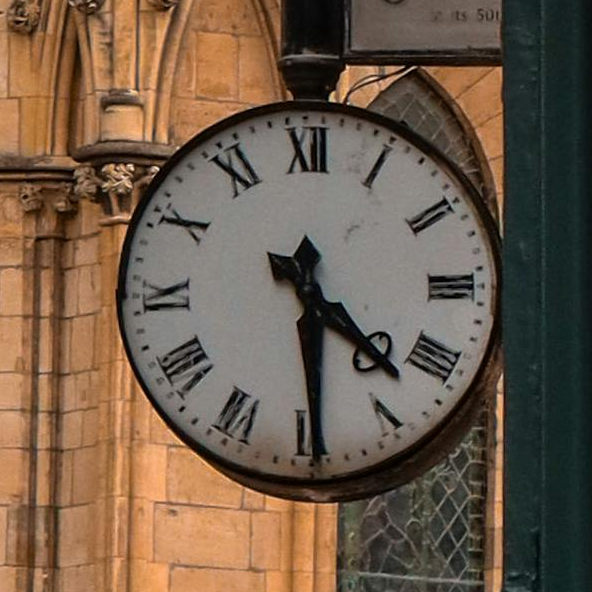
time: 4:29
